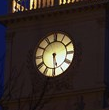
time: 5:29
